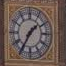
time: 1:35
